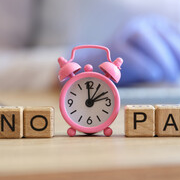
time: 1:59
